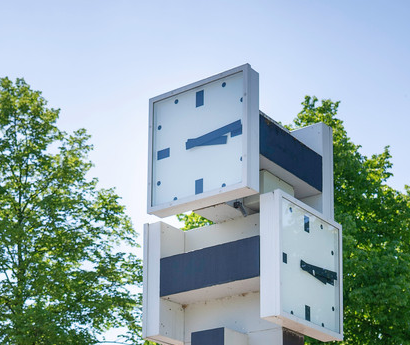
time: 3:13
